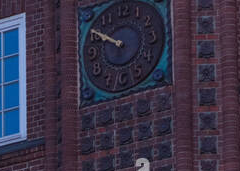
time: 9:50
